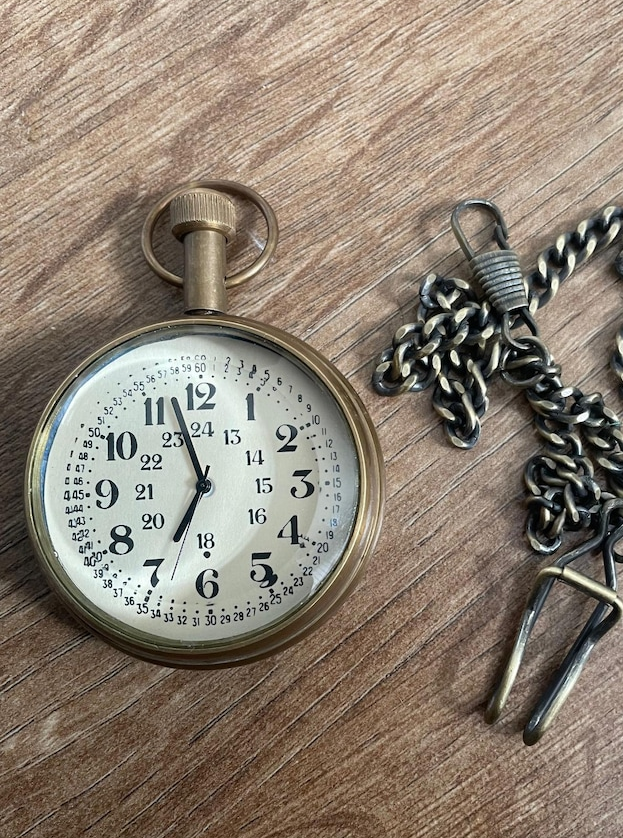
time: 6:57
